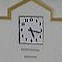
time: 5:16
